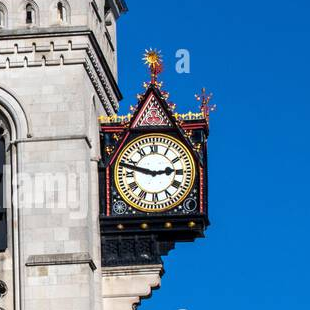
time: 2:48
